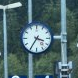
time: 3:35
